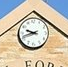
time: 9:42
